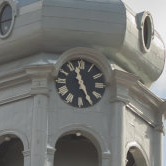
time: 11:25
